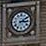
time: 3:09
